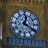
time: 12:20
